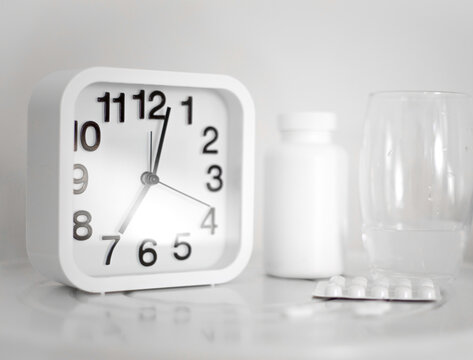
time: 12:35
